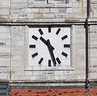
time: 10:27
